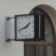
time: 1:42
